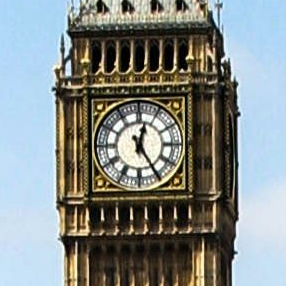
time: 12:24
